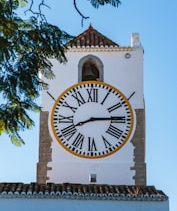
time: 8:14
